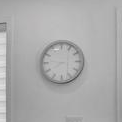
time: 7:46
